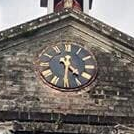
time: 4:30
